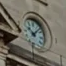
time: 10:07
